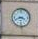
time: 3:41
